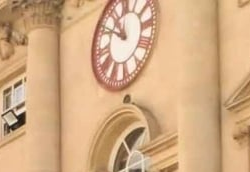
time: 10:50
